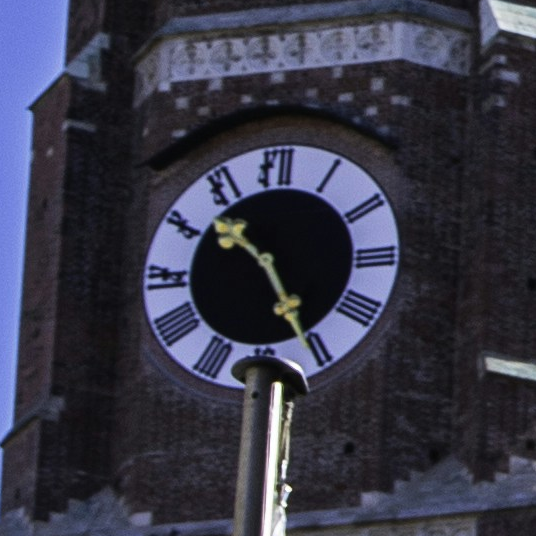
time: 10:25
